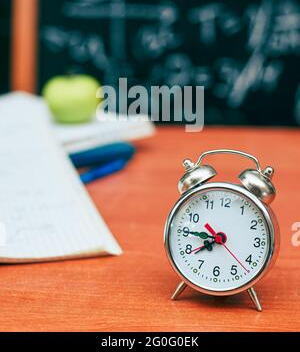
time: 7:45
